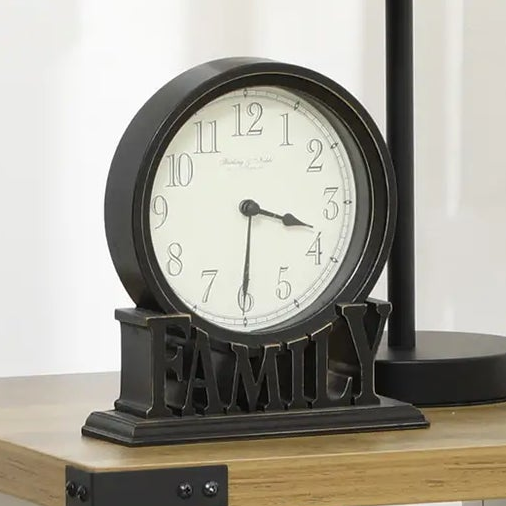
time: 3:30
